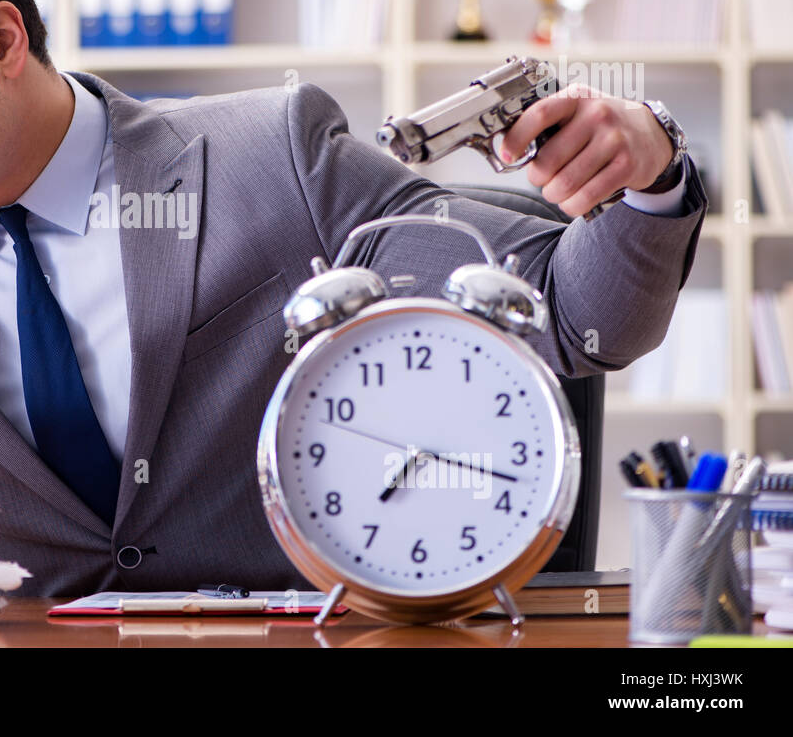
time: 7:17
